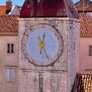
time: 12:26
